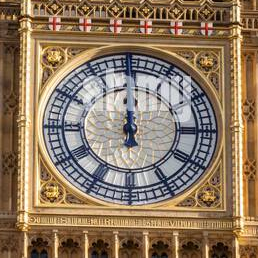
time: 11:59
